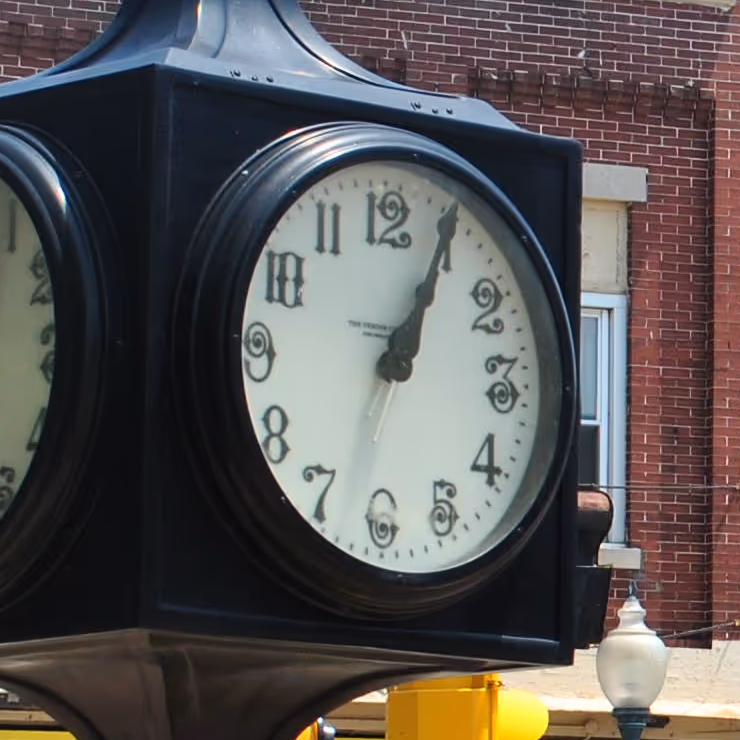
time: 1:04
